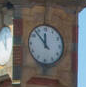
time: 11:53
